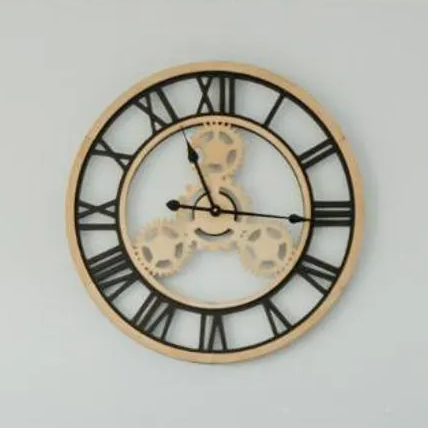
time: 11:15
